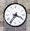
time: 3:36
